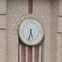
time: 5:32
